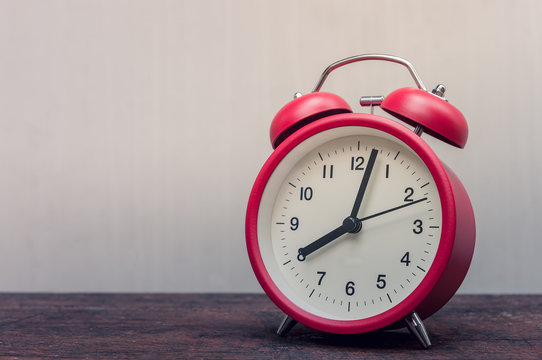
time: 8:02
